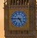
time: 4:45
